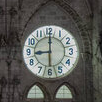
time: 9:00
